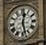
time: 12:27
